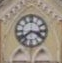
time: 3:38
